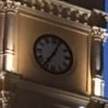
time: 7:04
